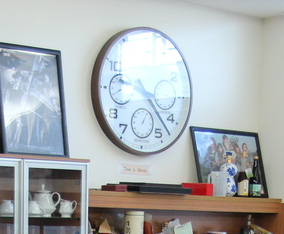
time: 9:22
